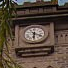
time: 6:18
